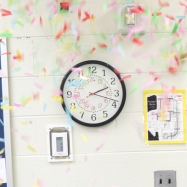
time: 2:18
